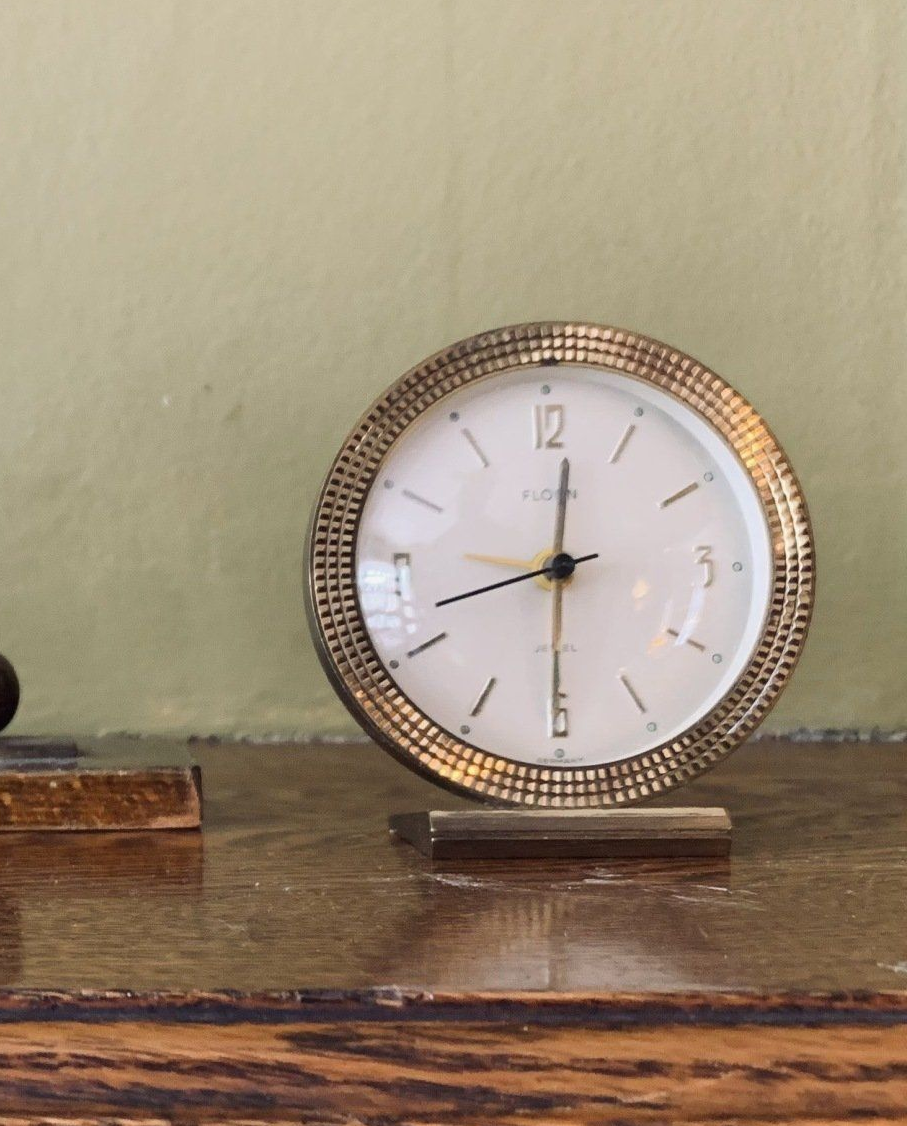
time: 8:30
